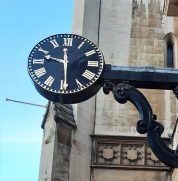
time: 9:29
